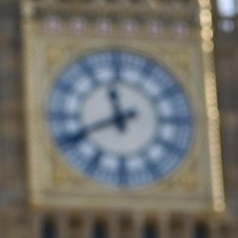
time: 11:40
